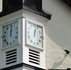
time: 12:02
